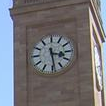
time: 3:28
